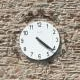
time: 4:21
